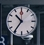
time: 10:36
